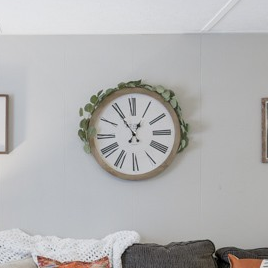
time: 12:54
